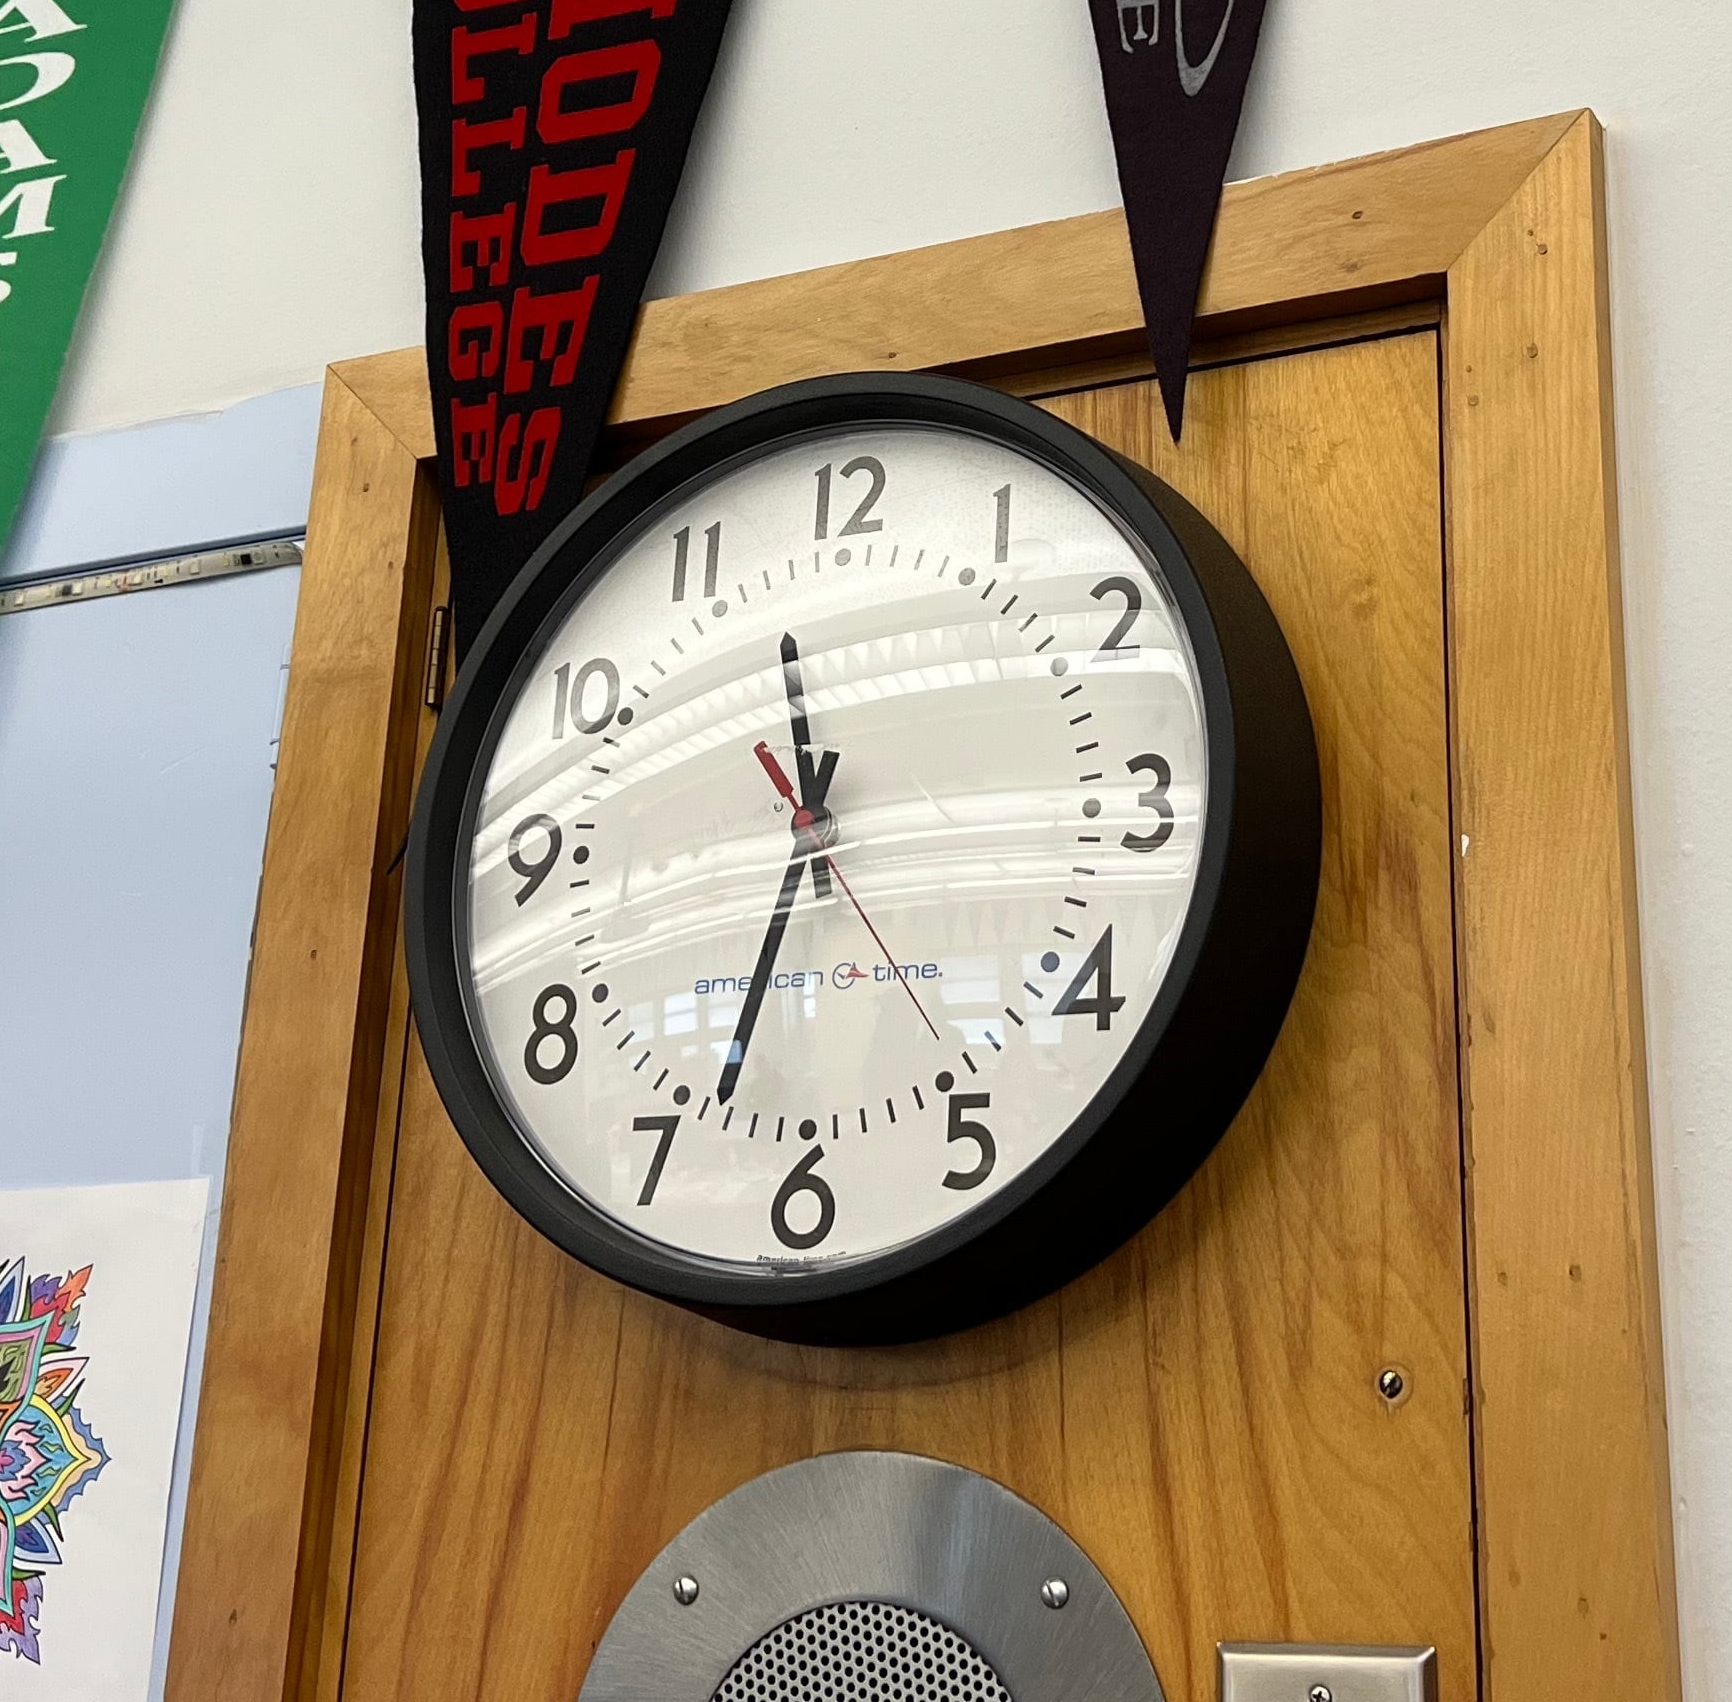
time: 11:32
